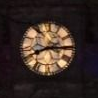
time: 8:14
